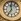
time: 11:35
